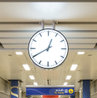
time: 12:40
